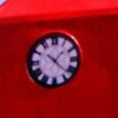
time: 1:22
